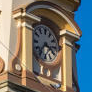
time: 7:15
